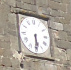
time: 5:30
